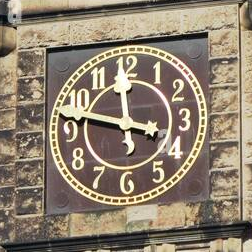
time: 11:47
